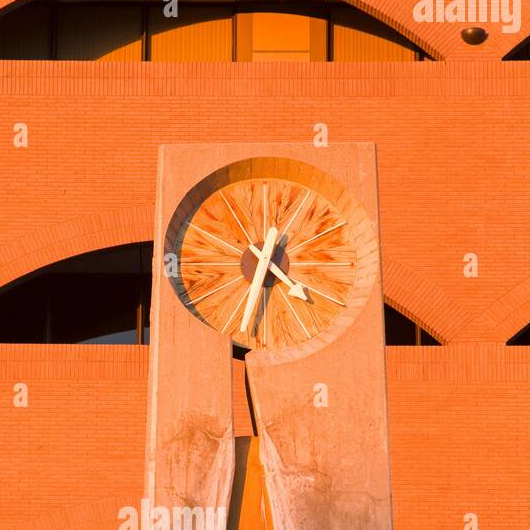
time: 4:33
